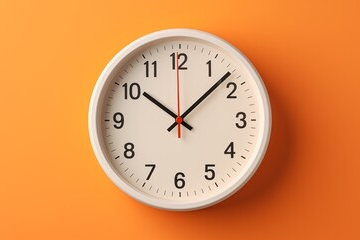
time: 10:07
